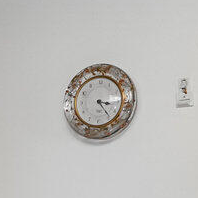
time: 3:23
